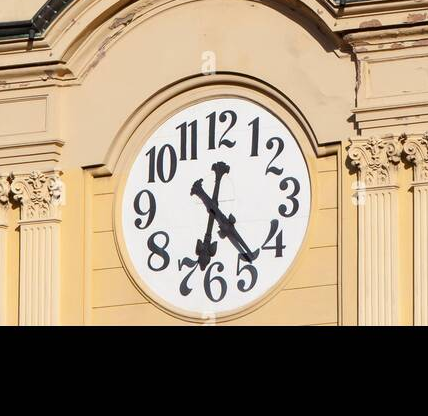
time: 6:23
